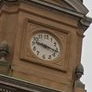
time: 9:17
